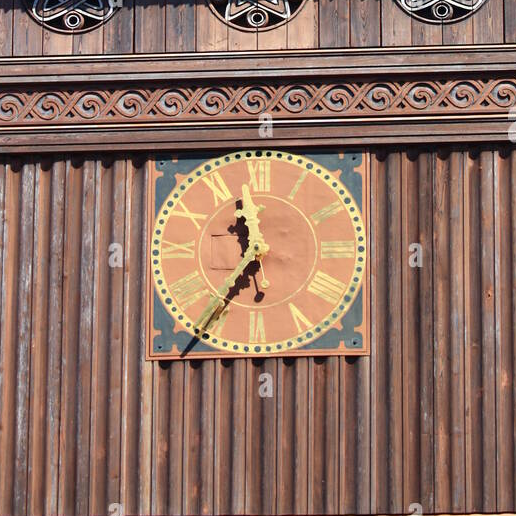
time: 11:35
